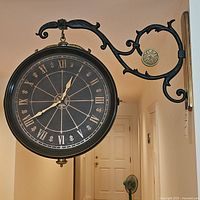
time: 12:40
